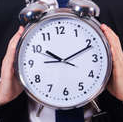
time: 10:11
